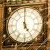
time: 4:59
